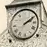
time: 2:09
